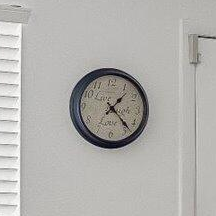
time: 1:23
